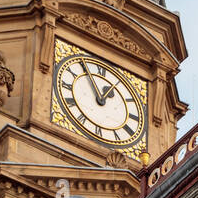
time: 12:55
